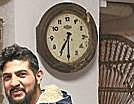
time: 7:30
